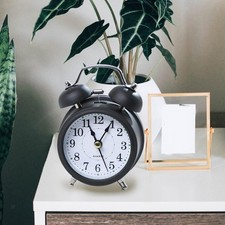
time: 11:05
